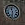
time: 11:32
